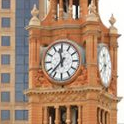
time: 11:37
